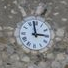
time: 2:58
